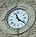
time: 11:21
